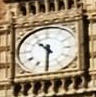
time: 10:30
